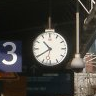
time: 10:39
